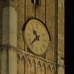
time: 10:37
